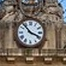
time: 3:53
